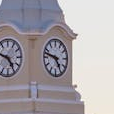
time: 4:47
